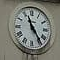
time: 11:24
